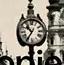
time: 10:35
